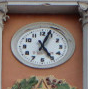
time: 5:03
